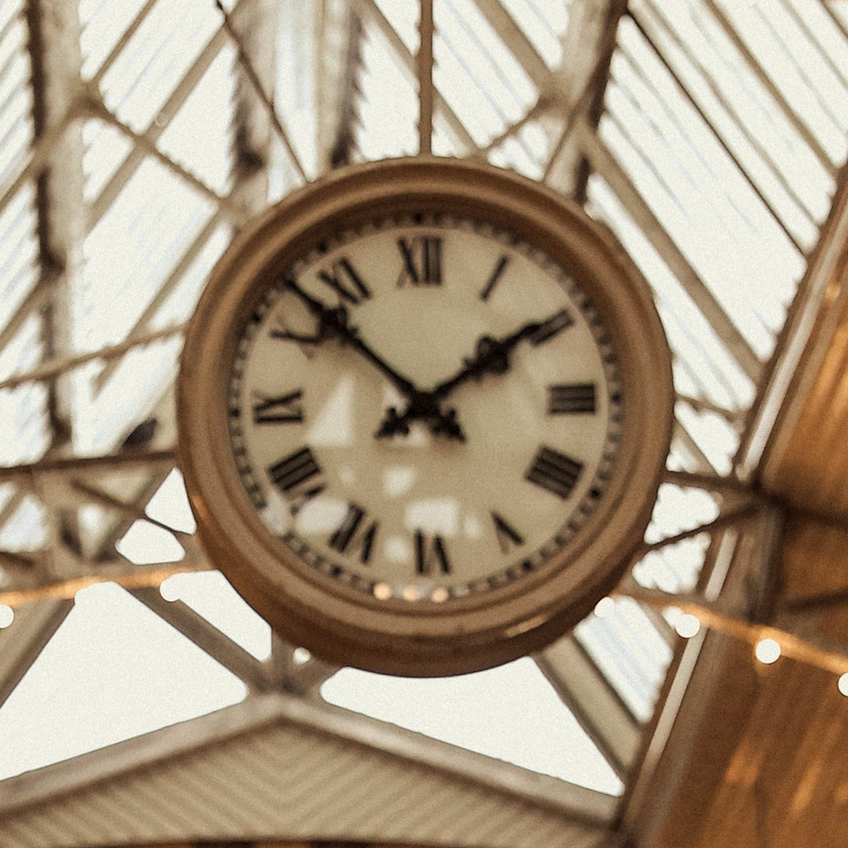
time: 1:52
